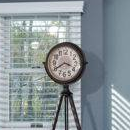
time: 3:40
